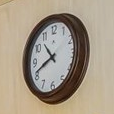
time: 10:41
